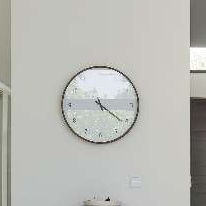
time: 4:21
